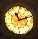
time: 11:11
